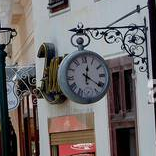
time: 12:21
